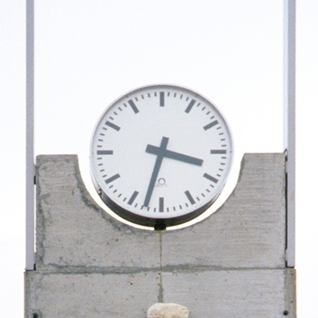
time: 3:32
